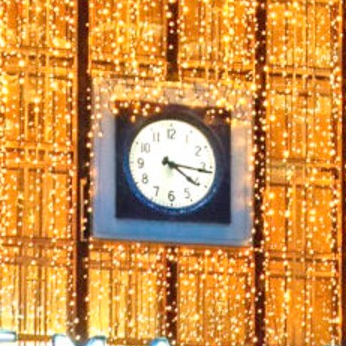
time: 4:16
